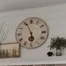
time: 5:56
